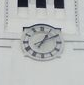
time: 1:10
